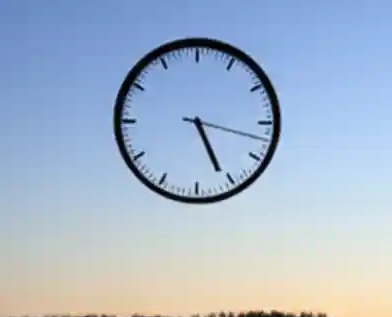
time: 5:17
